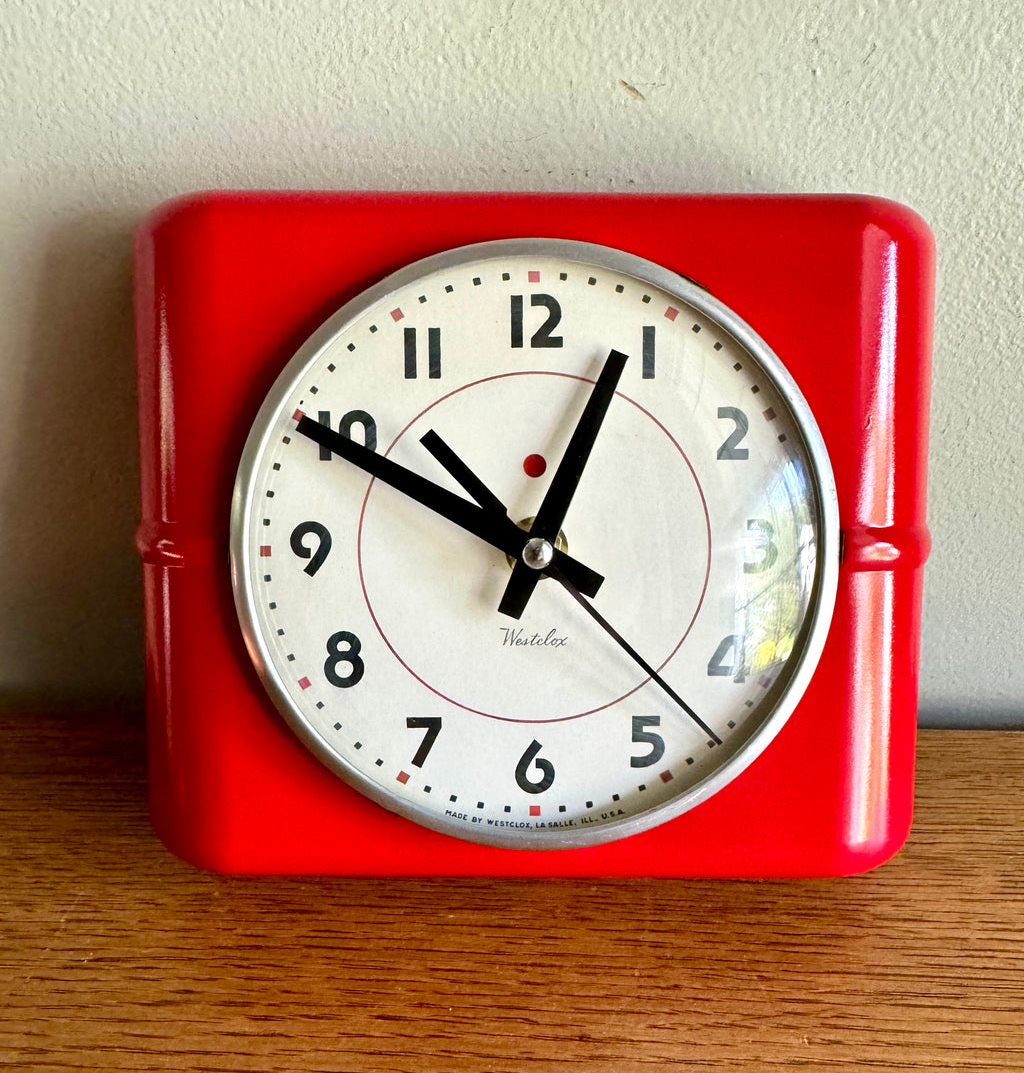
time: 12:49
